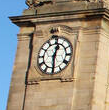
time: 12:29
